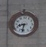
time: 8:32
